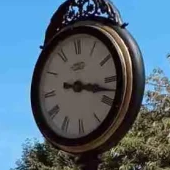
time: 3:17
